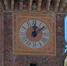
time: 12:08
